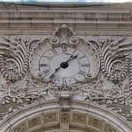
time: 1:37
